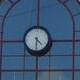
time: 4:31
